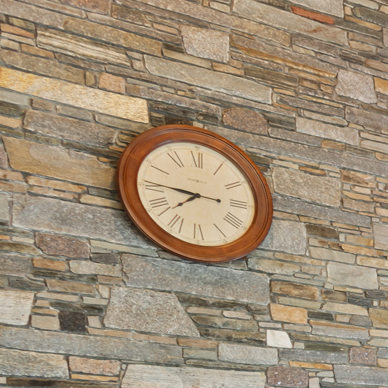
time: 7:45
